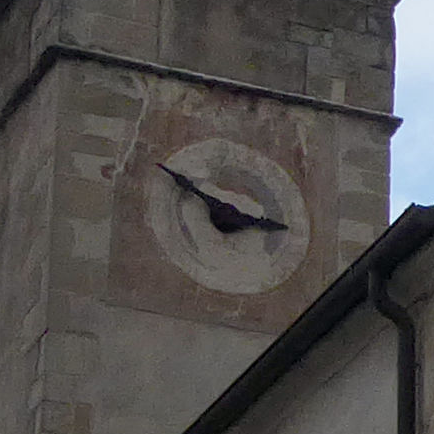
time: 2:48
